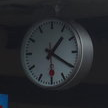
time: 1:20
